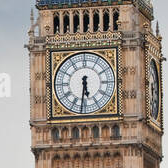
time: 5:31
